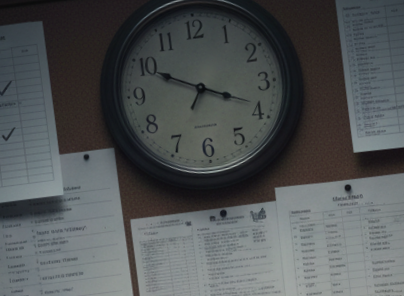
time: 3:49
